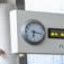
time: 6:17
